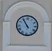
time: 10:54
